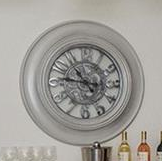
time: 10:46
